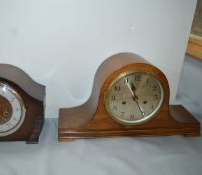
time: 11:25
